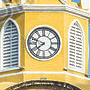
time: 7:48
